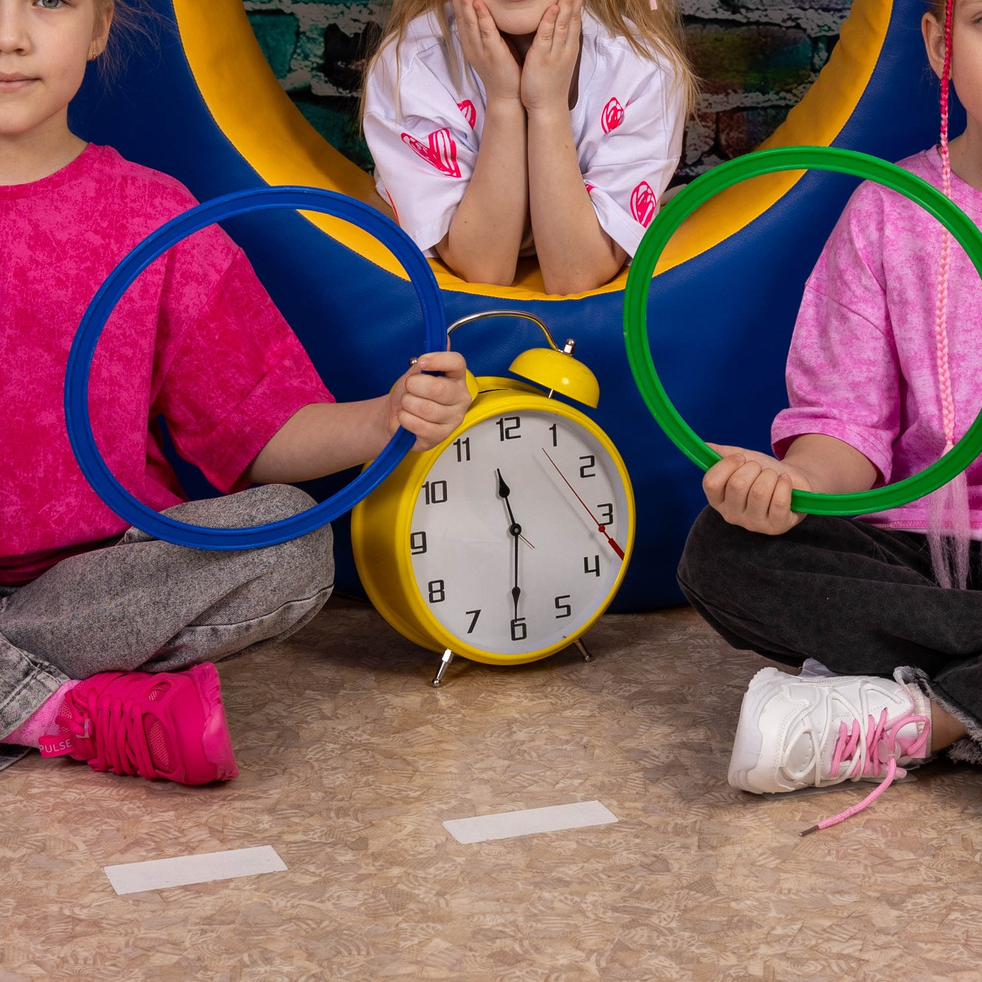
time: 11:30
